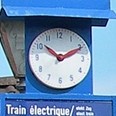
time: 10:10
